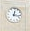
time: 12:16
